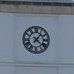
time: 1:21
